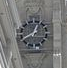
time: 12:40
